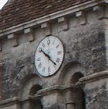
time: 10:22
